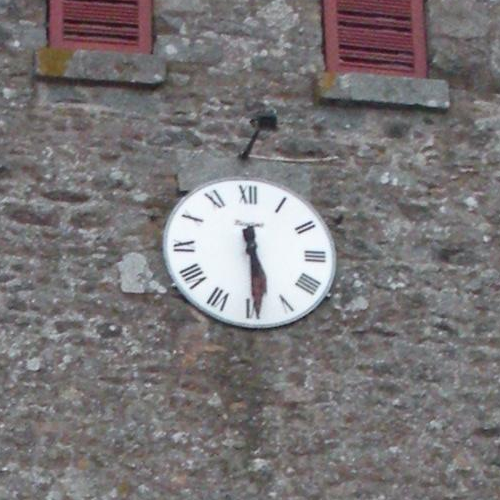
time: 5:29
